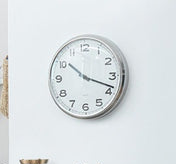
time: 10:18
